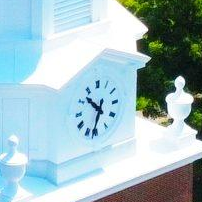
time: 10:32
